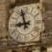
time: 8:57
